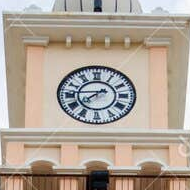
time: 7:45
